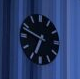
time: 6:48
